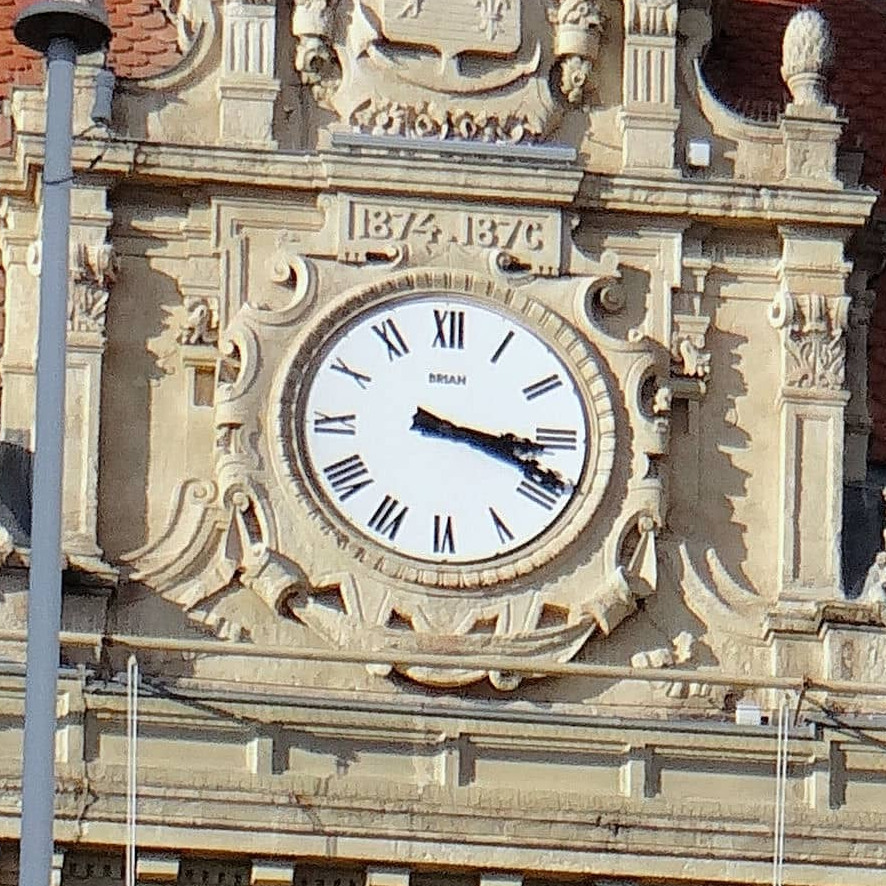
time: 3:18
